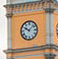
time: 10:07
